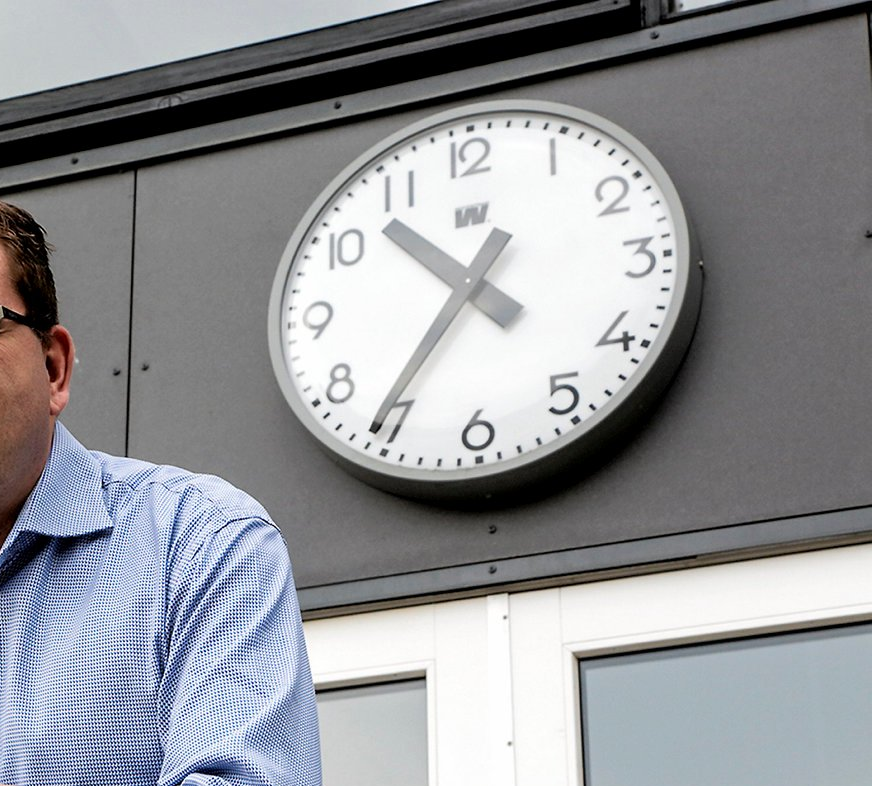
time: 10:36
